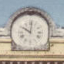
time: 10:00
